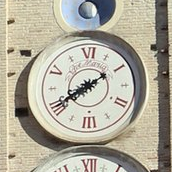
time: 7:39
